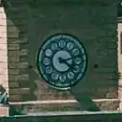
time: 4:12
